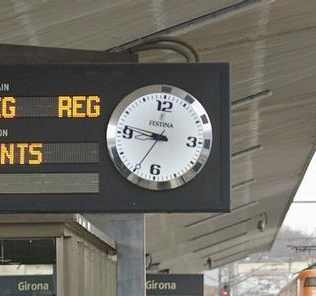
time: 8:46
